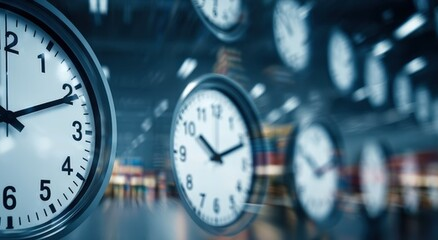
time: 10:11
